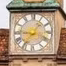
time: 1:18
